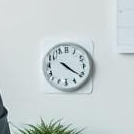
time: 4:20
